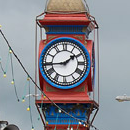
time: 1:44
